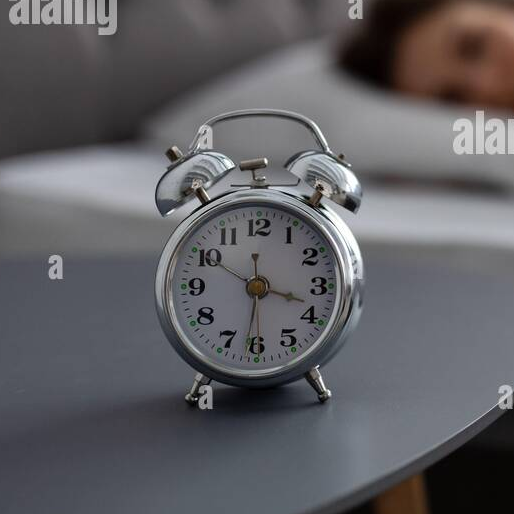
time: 3:31
